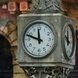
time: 11:48
